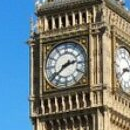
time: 2:38
